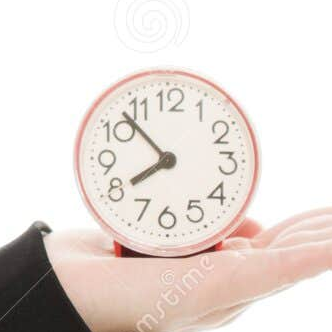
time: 7:52
